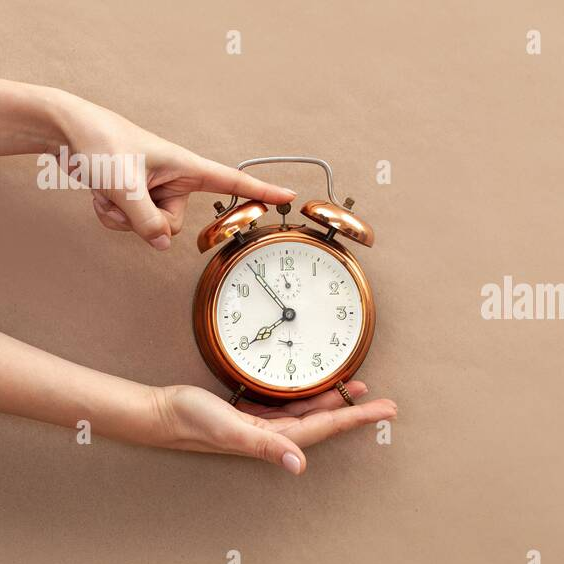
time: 7:53
